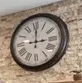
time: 3:00
